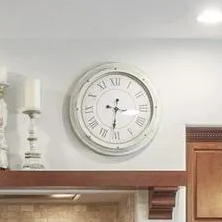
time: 9:31
